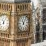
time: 11:05
